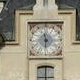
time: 11:30
